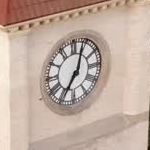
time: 7:03
